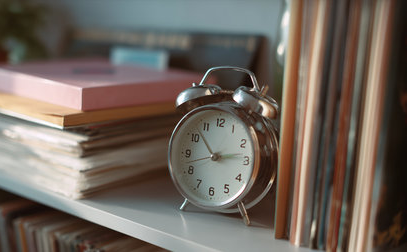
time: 2:53
